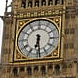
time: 6:29
